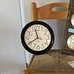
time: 11:40
